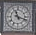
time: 11:18
